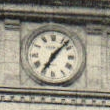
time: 7:07
